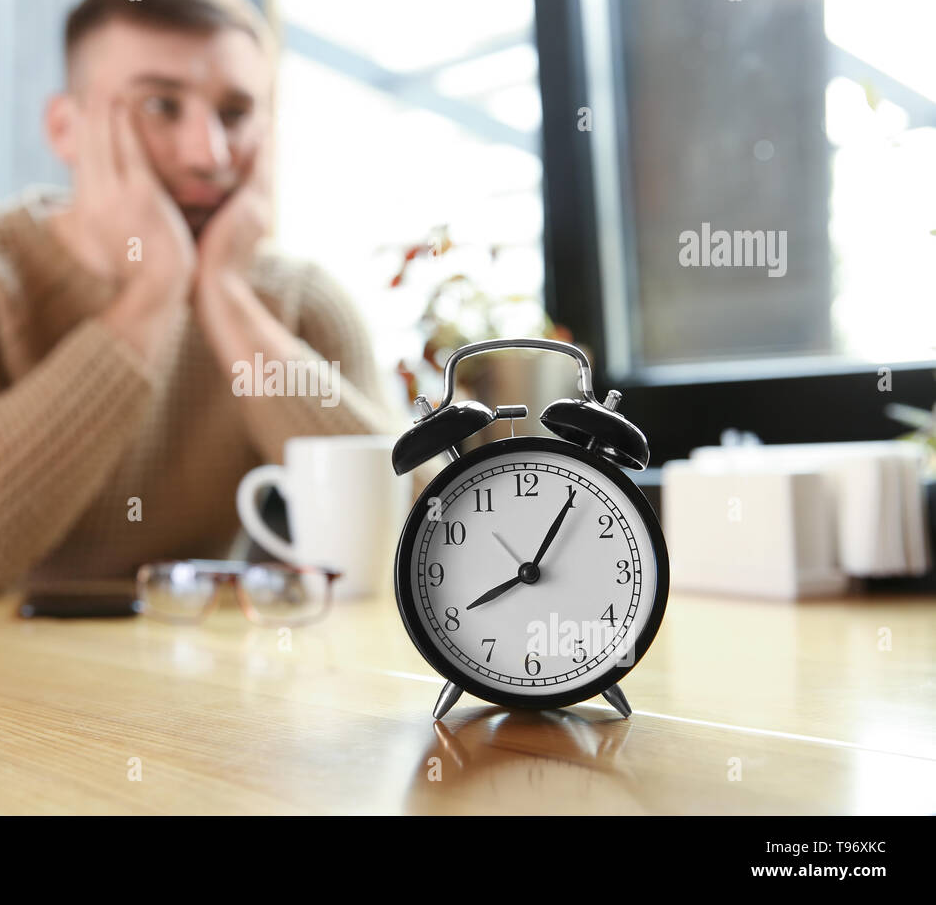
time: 8:05
